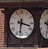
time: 3:31
